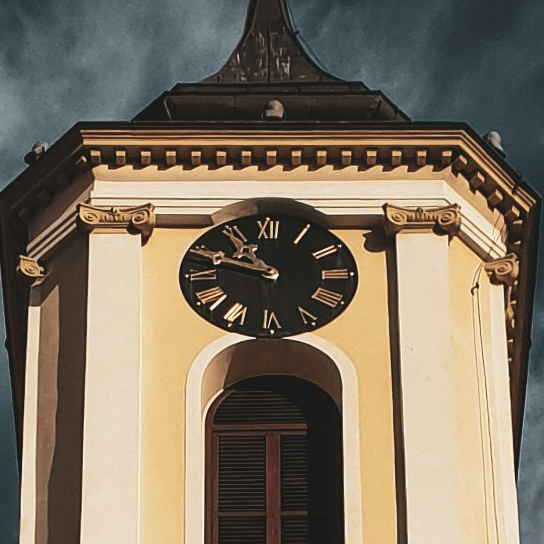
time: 10:48
